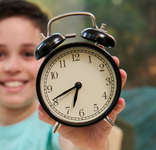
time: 6:41
